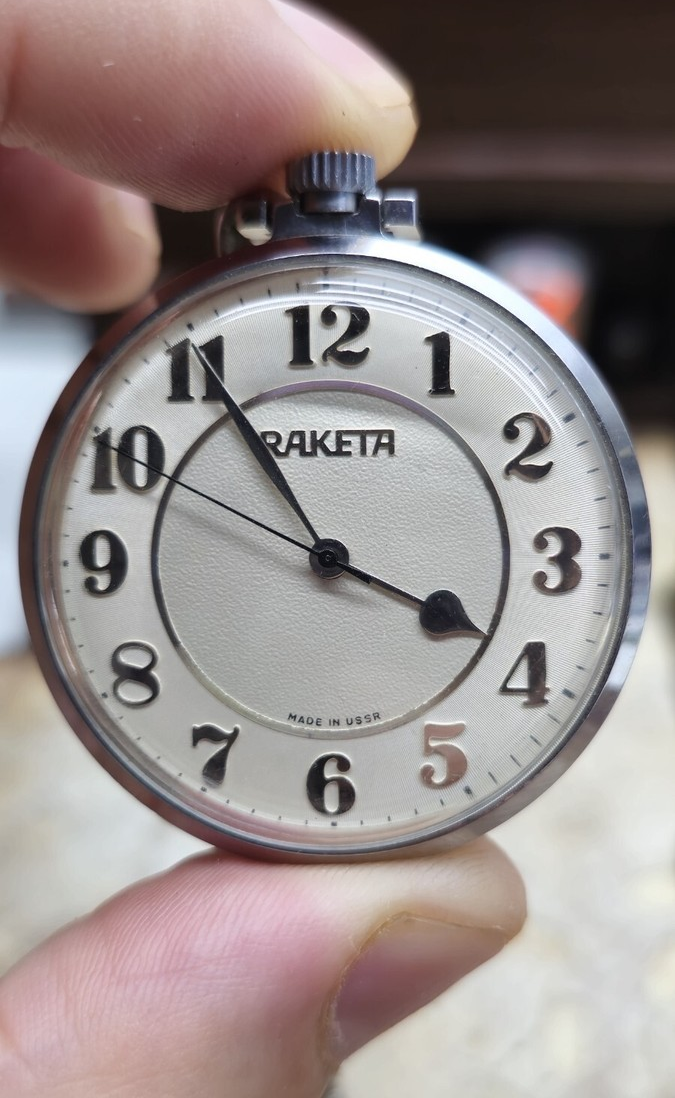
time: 3:54
